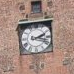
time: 2:18
